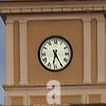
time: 6:25
